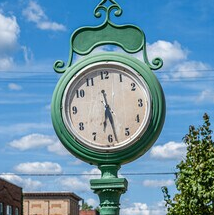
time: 6:28
